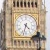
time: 4:32
